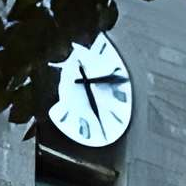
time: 5:12
